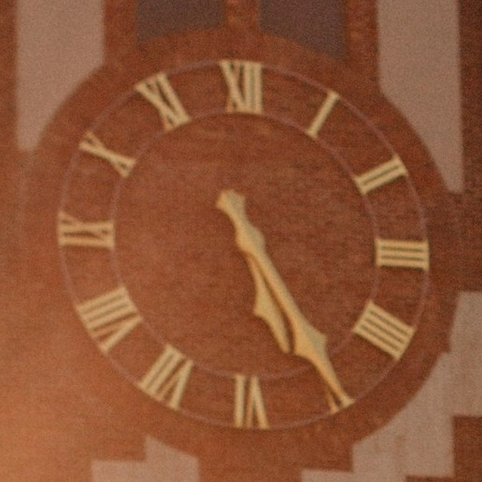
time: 5:24
